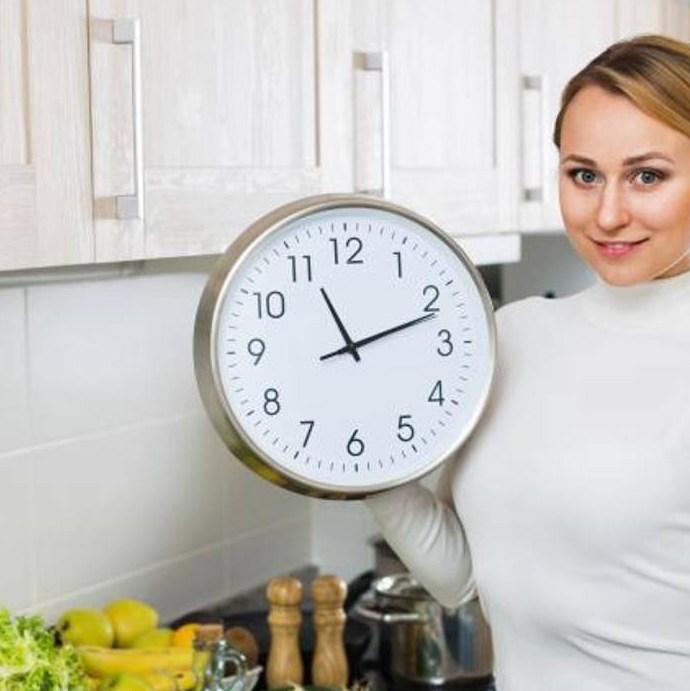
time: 11:11
